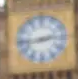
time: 2:43
